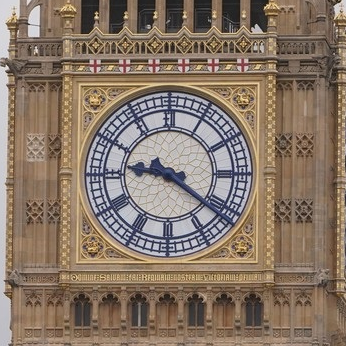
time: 9:21
